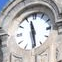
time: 11:28
